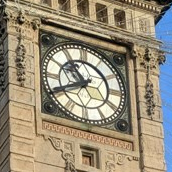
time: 10:40
